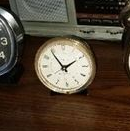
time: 1:54
